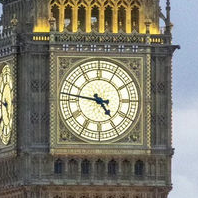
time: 4:46
